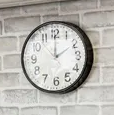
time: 2:00
